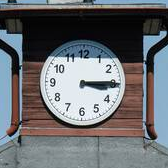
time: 3:14
